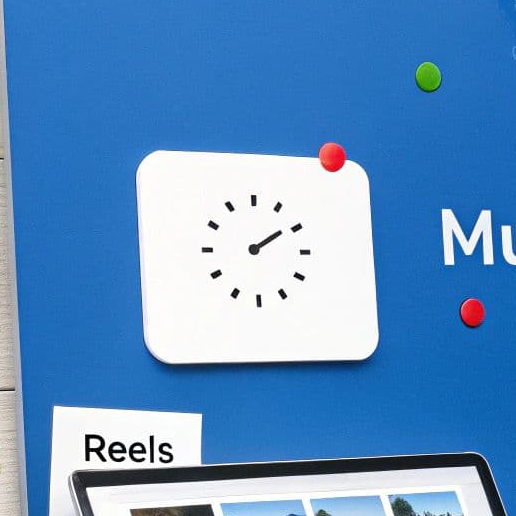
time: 2:09
